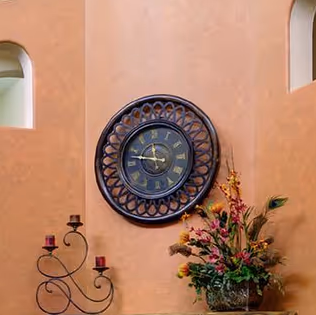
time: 11:46
